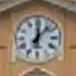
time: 12:07
